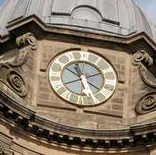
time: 9:56
